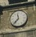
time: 11:37
